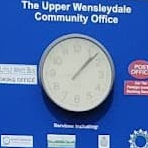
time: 1:07
